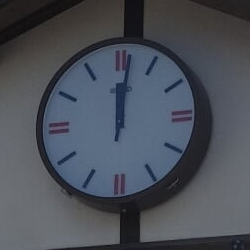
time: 12:01
